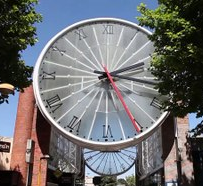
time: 2:16
